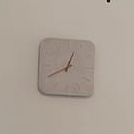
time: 12:40
